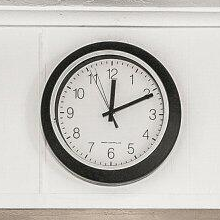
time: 12:10
